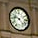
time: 9:23
